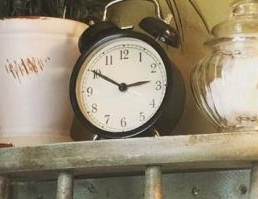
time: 2:50
